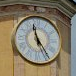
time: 11:24
